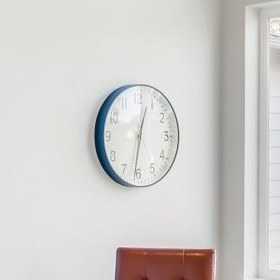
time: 12:31
